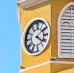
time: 4:09
